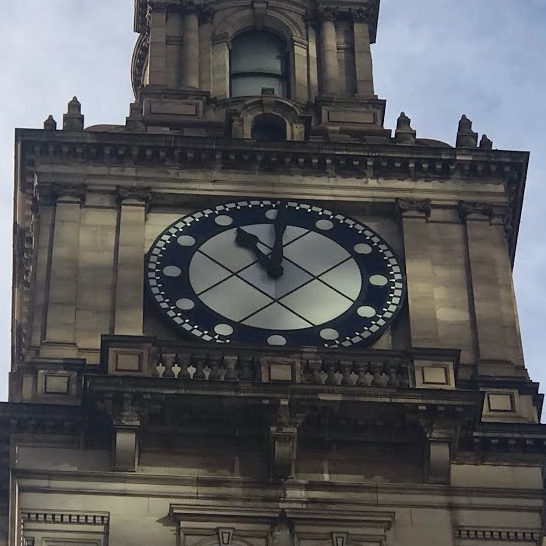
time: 11:00
